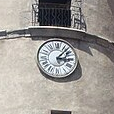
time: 3:07
